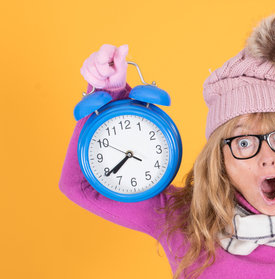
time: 7:39
